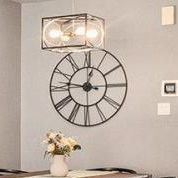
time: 12:46
